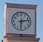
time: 6:13
